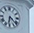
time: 6:21
